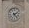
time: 2:23
